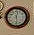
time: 12:28
